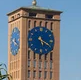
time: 5:19
